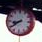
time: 8:39
